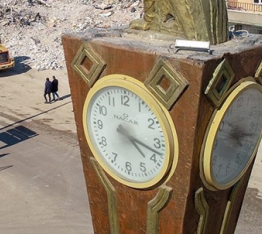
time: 4:17
